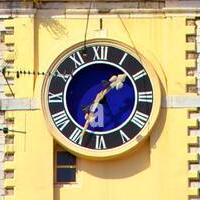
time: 1:34
